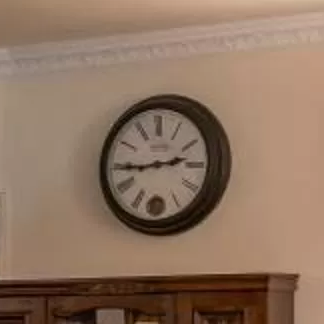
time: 2:44
